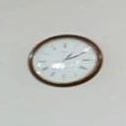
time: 1:10
